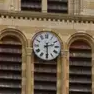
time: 2:29
